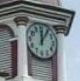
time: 12:05
